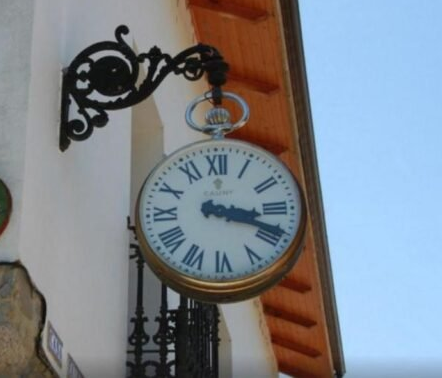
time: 3:18
